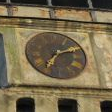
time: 7:10
